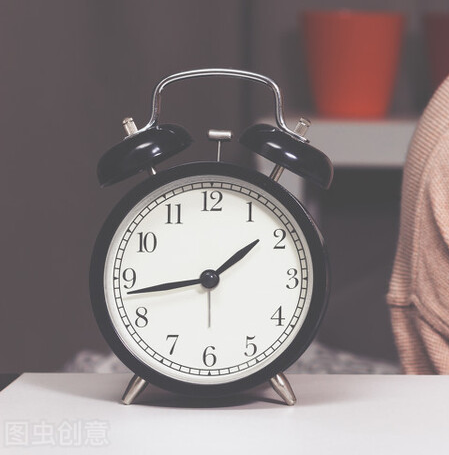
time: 1:43
